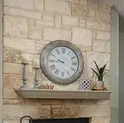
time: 9:44
